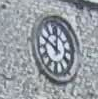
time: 12:49
